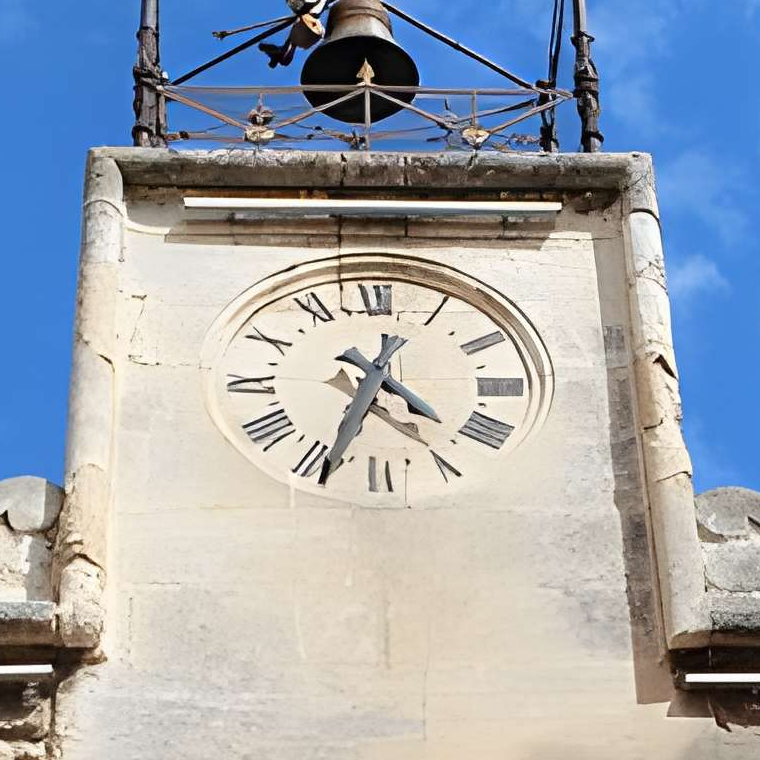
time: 4:33
